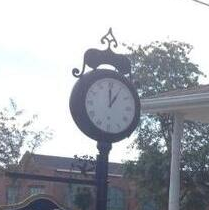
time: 1:00
